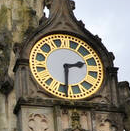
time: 2:29
